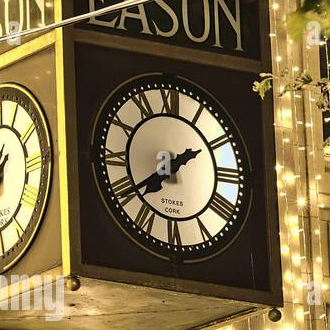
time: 7:39
